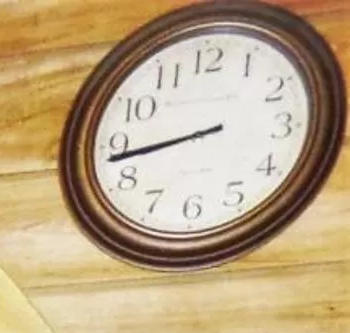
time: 8:43
